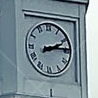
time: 2:14
